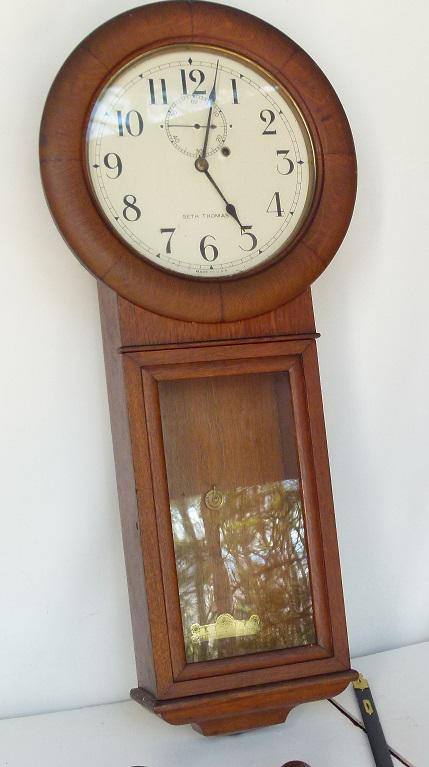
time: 5:02
